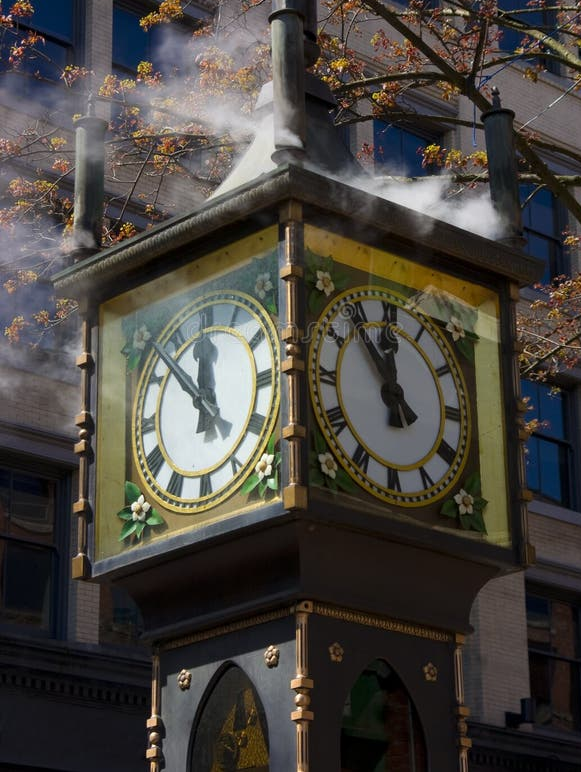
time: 11:53
